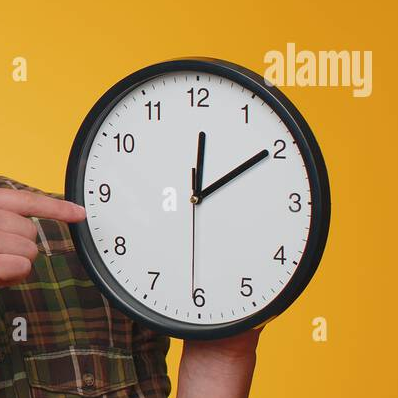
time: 12:09
